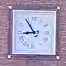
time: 8:54
